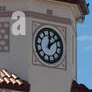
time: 12:09
